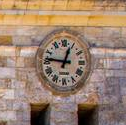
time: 12:46
